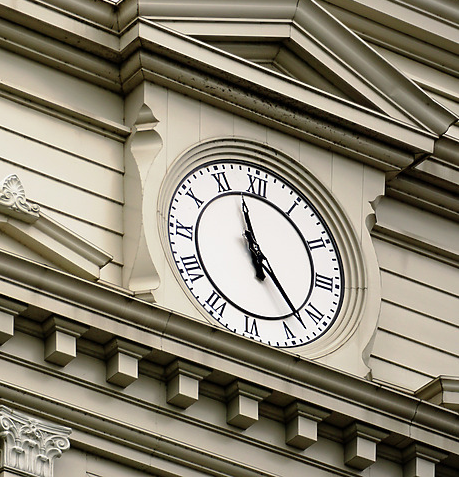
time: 11:22
